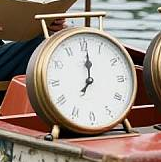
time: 7:01
